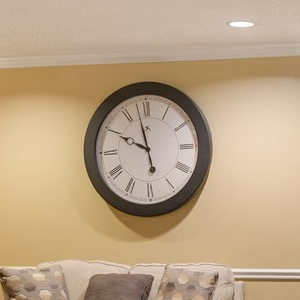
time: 9:57
